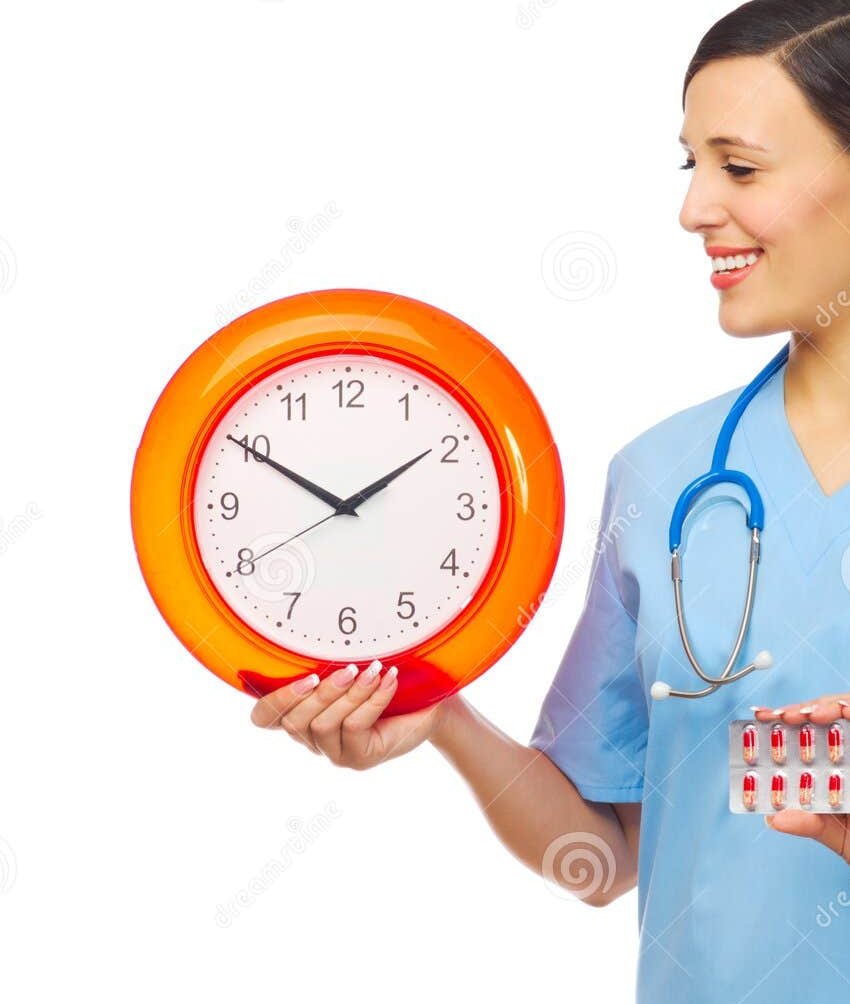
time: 1:49
